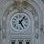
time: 5:06
